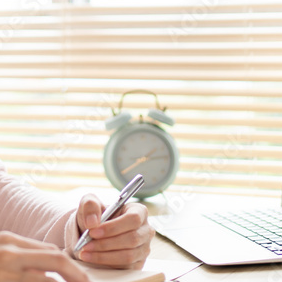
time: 8:14
